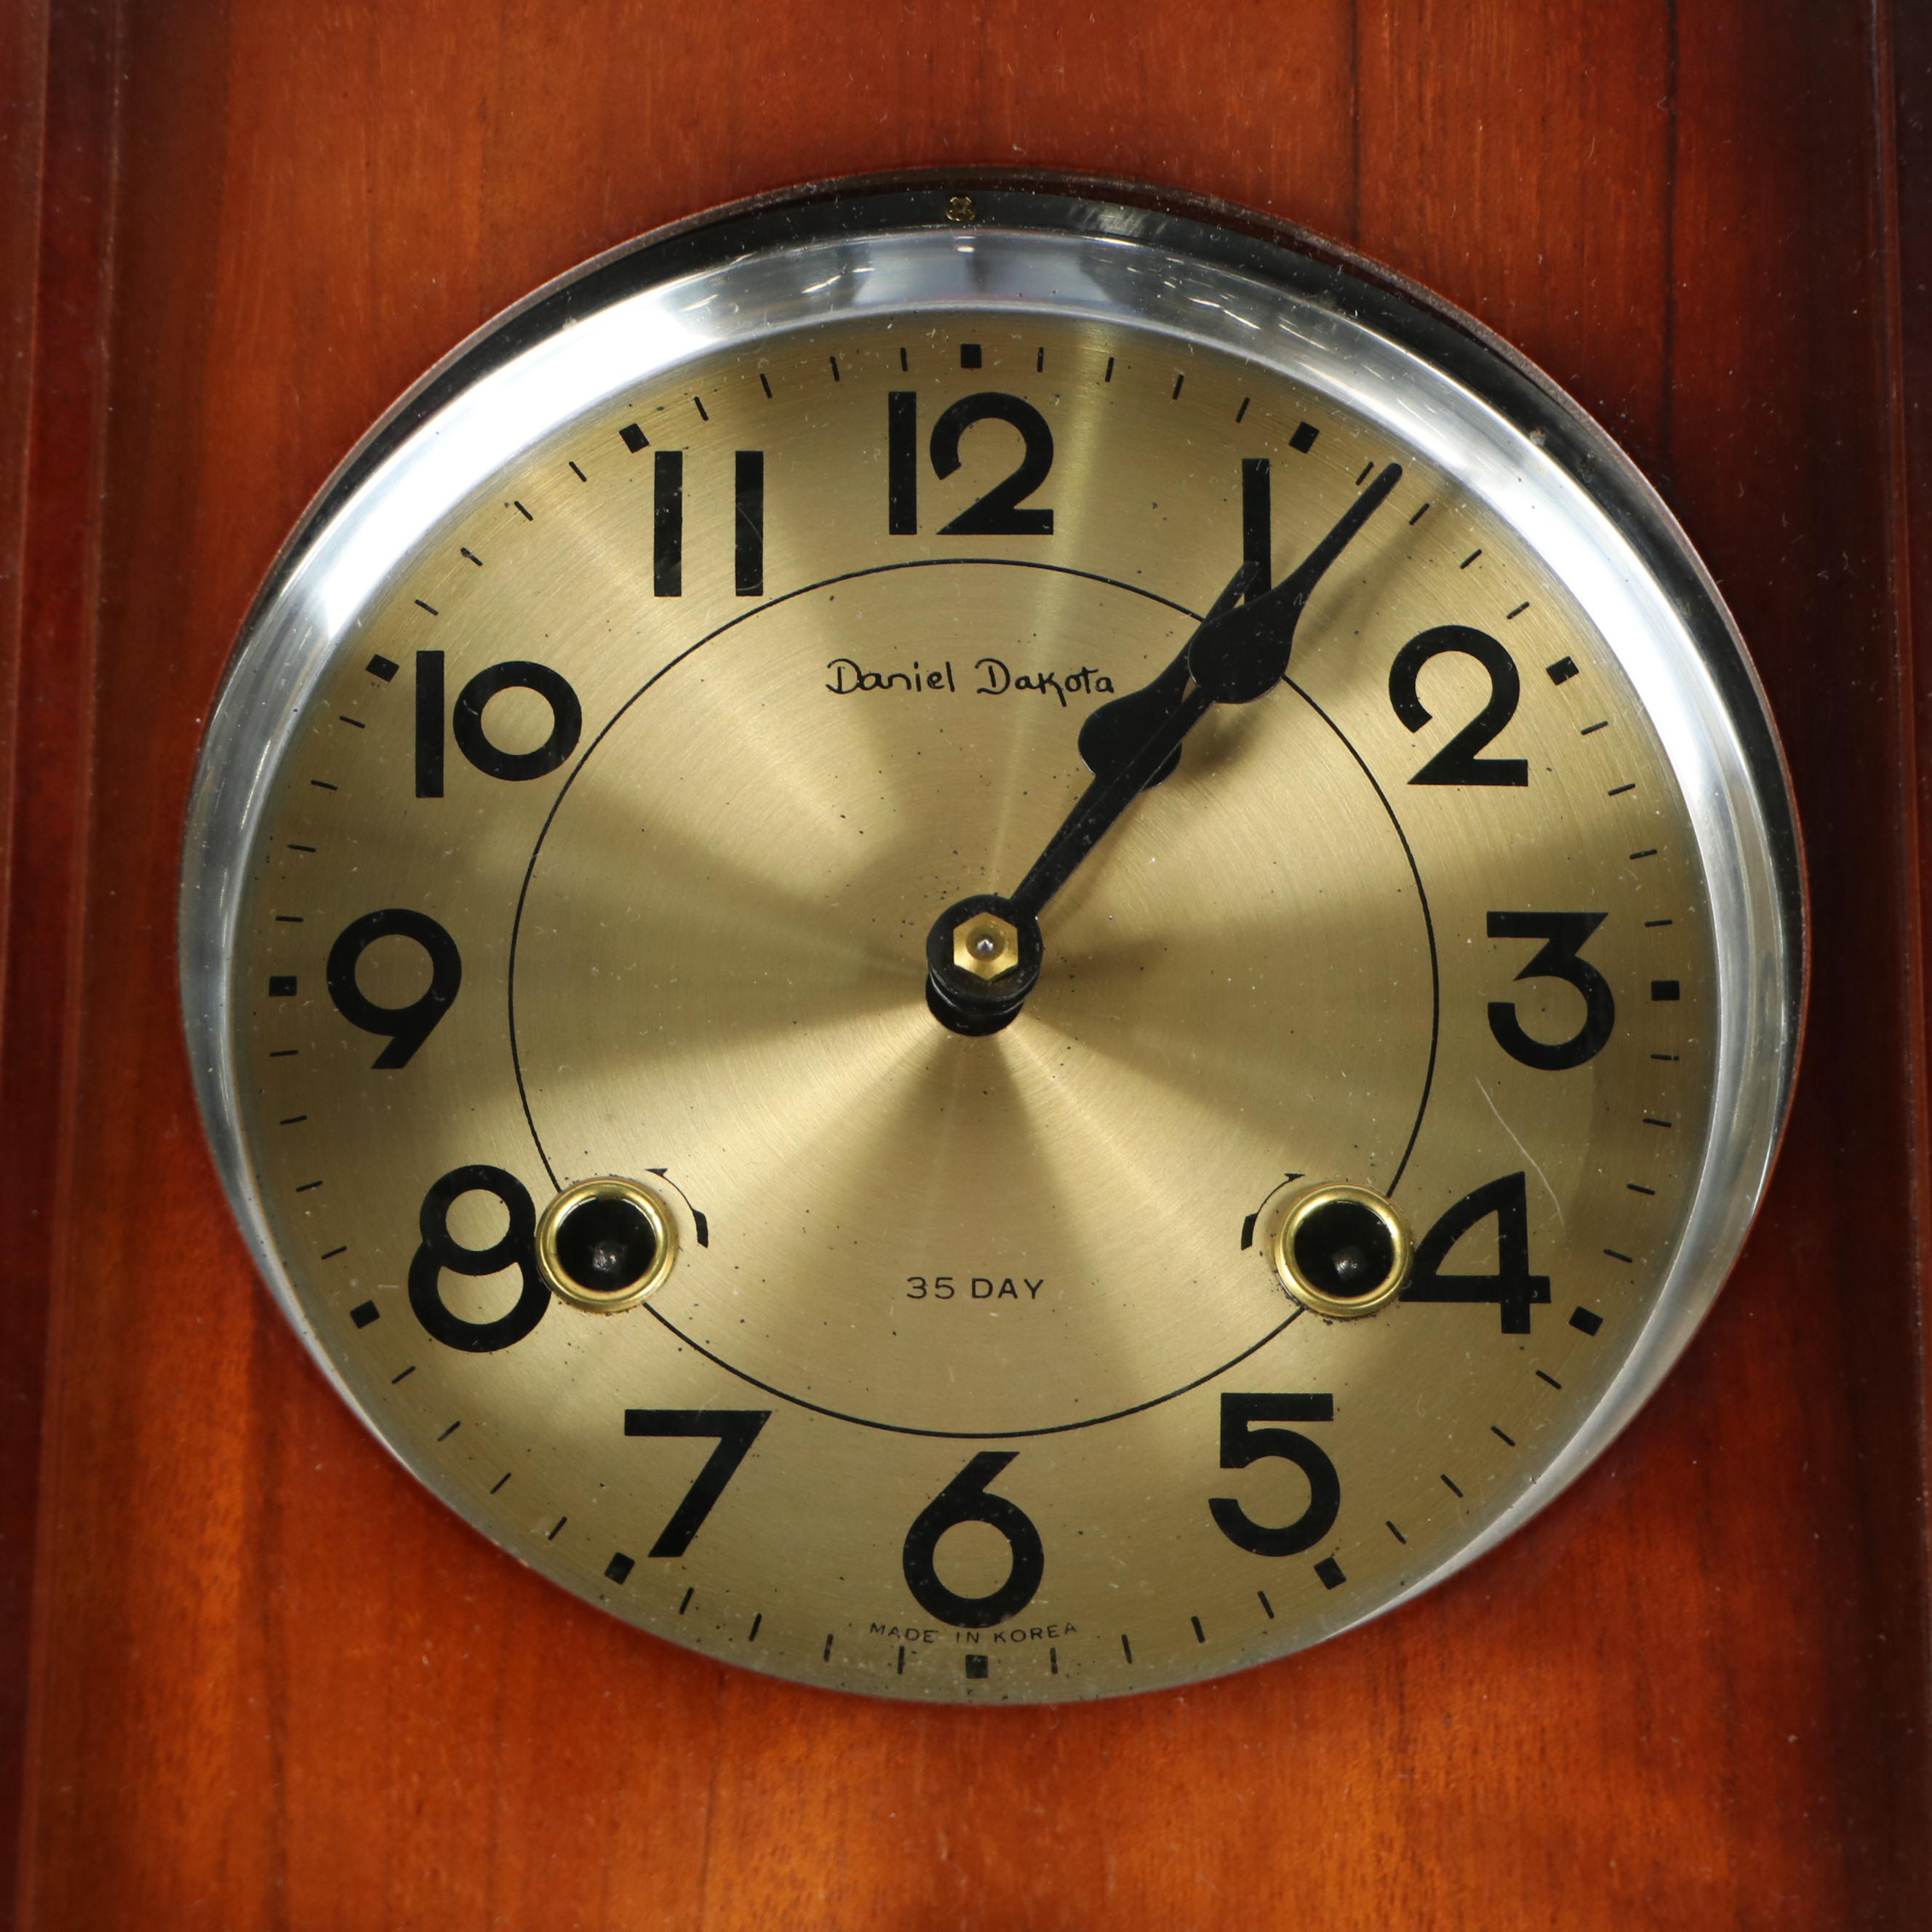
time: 1:06
